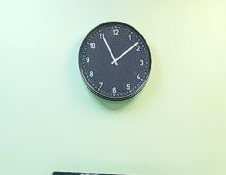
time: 11:08
